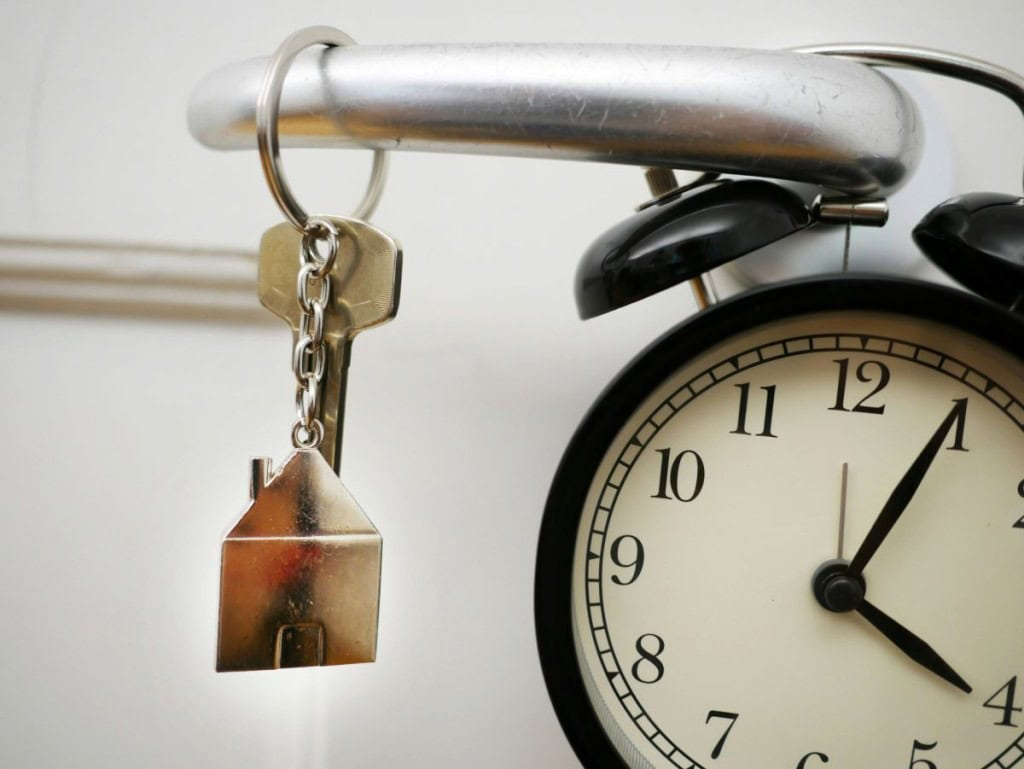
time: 4:04
